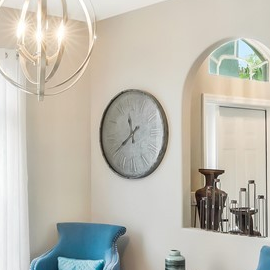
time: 11:39
